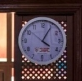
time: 4:05
